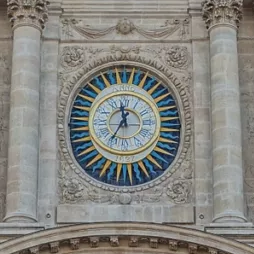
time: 11:35
